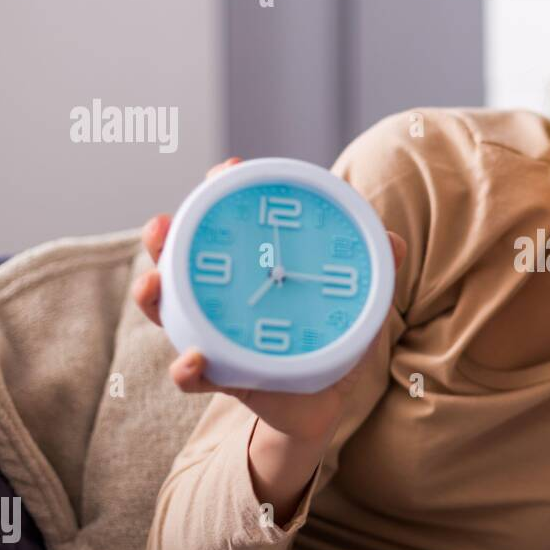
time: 7:15
